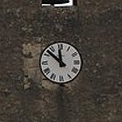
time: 11:52
